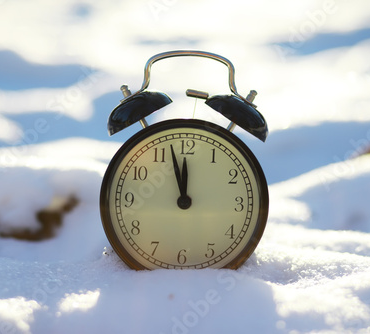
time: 11:57
